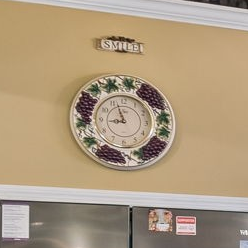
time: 8:57
